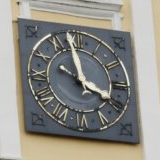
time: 3:58
